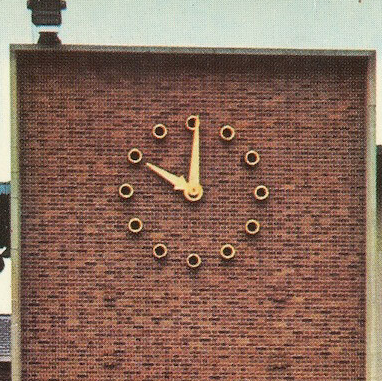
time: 10:00
